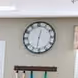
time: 12:31
